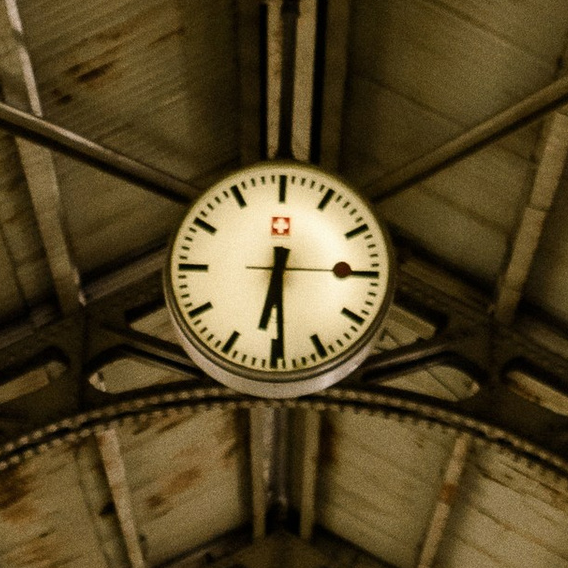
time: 6:29
